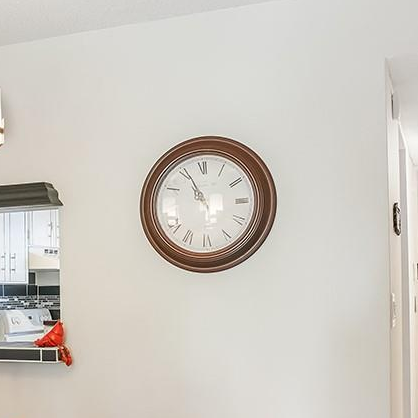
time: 10:55
